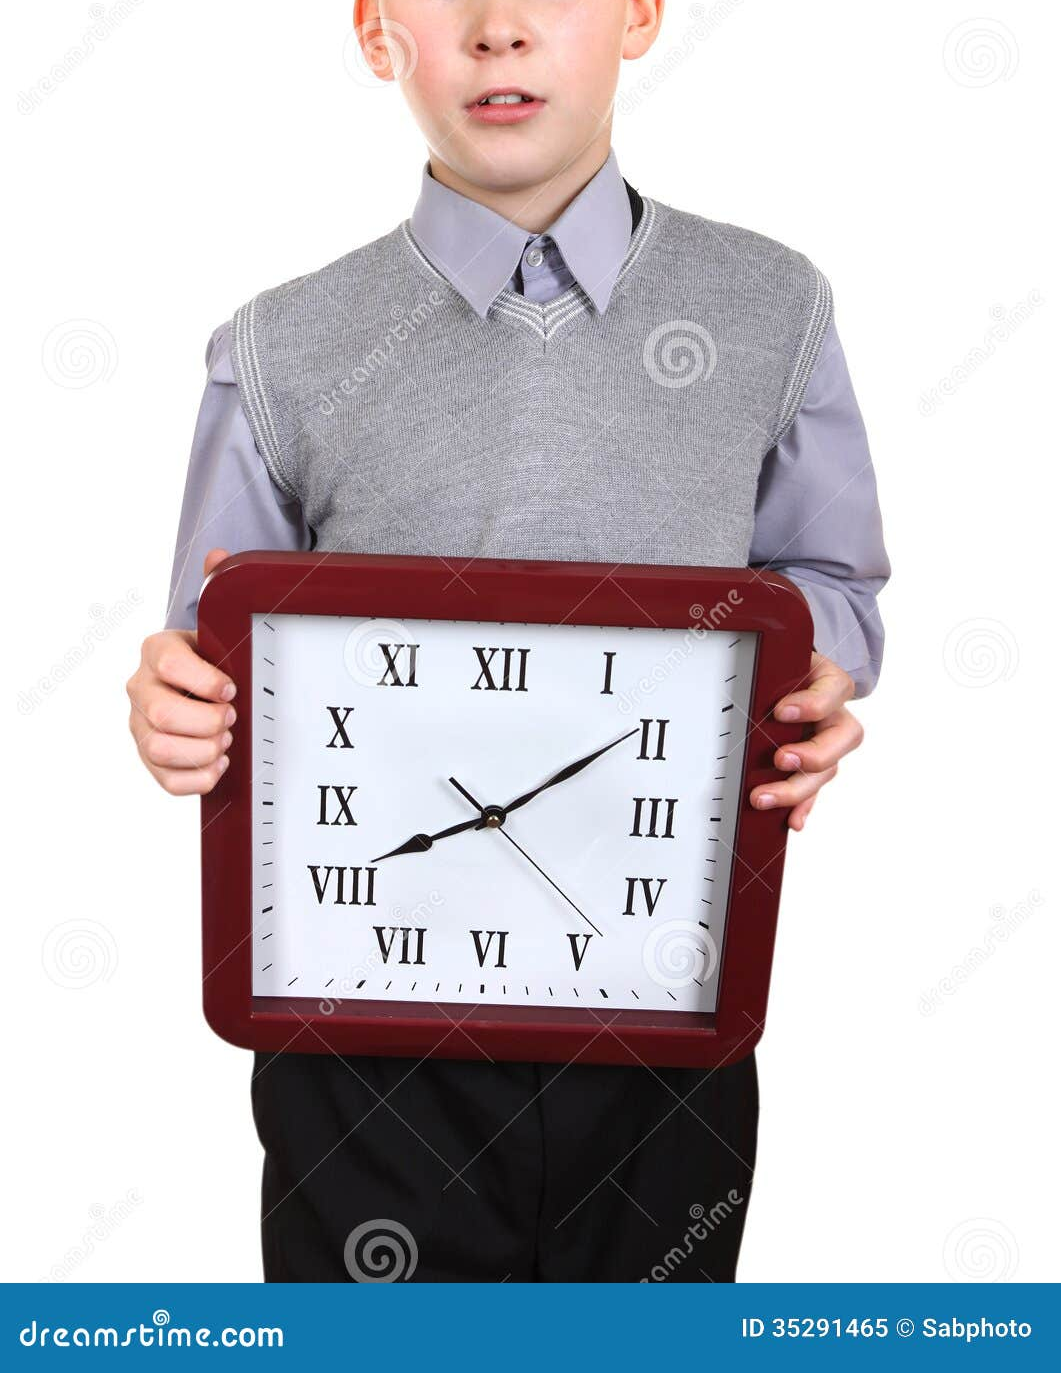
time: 8:09
